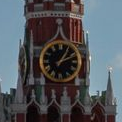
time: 1:11
